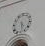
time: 4:28
